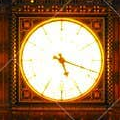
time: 5:18
